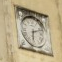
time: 6:11
